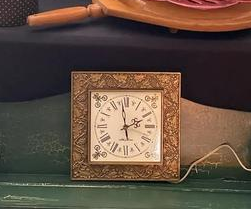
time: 1:58
